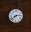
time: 2:38
